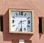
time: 2:29
